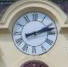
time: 2:12
